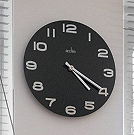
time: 4:19
